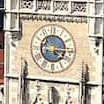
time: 4:15
